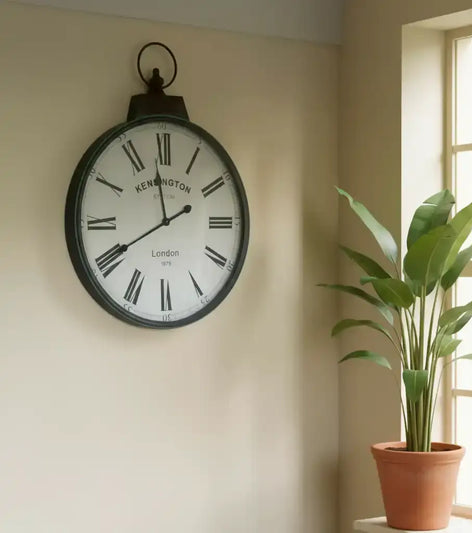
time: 11:40
